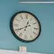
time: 12:40
